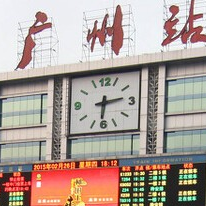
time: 6:13
